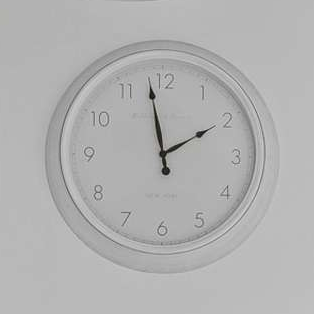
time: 1:58
